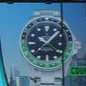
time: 10:07
